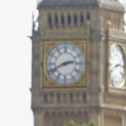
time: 2:41
